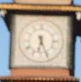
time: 6:26
